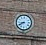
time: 8:40
